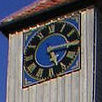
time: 5:14
